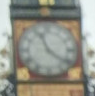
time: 11:21
